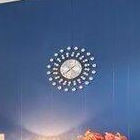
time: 1:39
